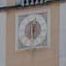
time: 12:28
